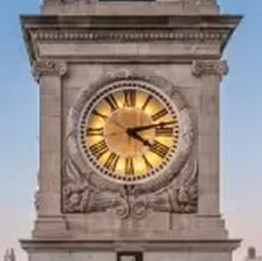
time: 4:12
